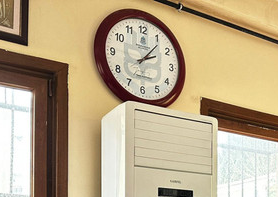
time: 2:06
